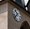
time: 10:37
